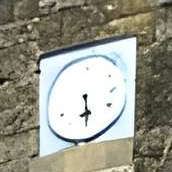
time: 5:29
